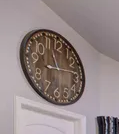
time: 11:13
